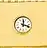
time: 12:18
